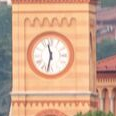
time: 11:32
